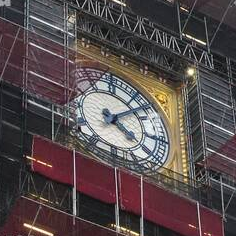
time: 4:08
